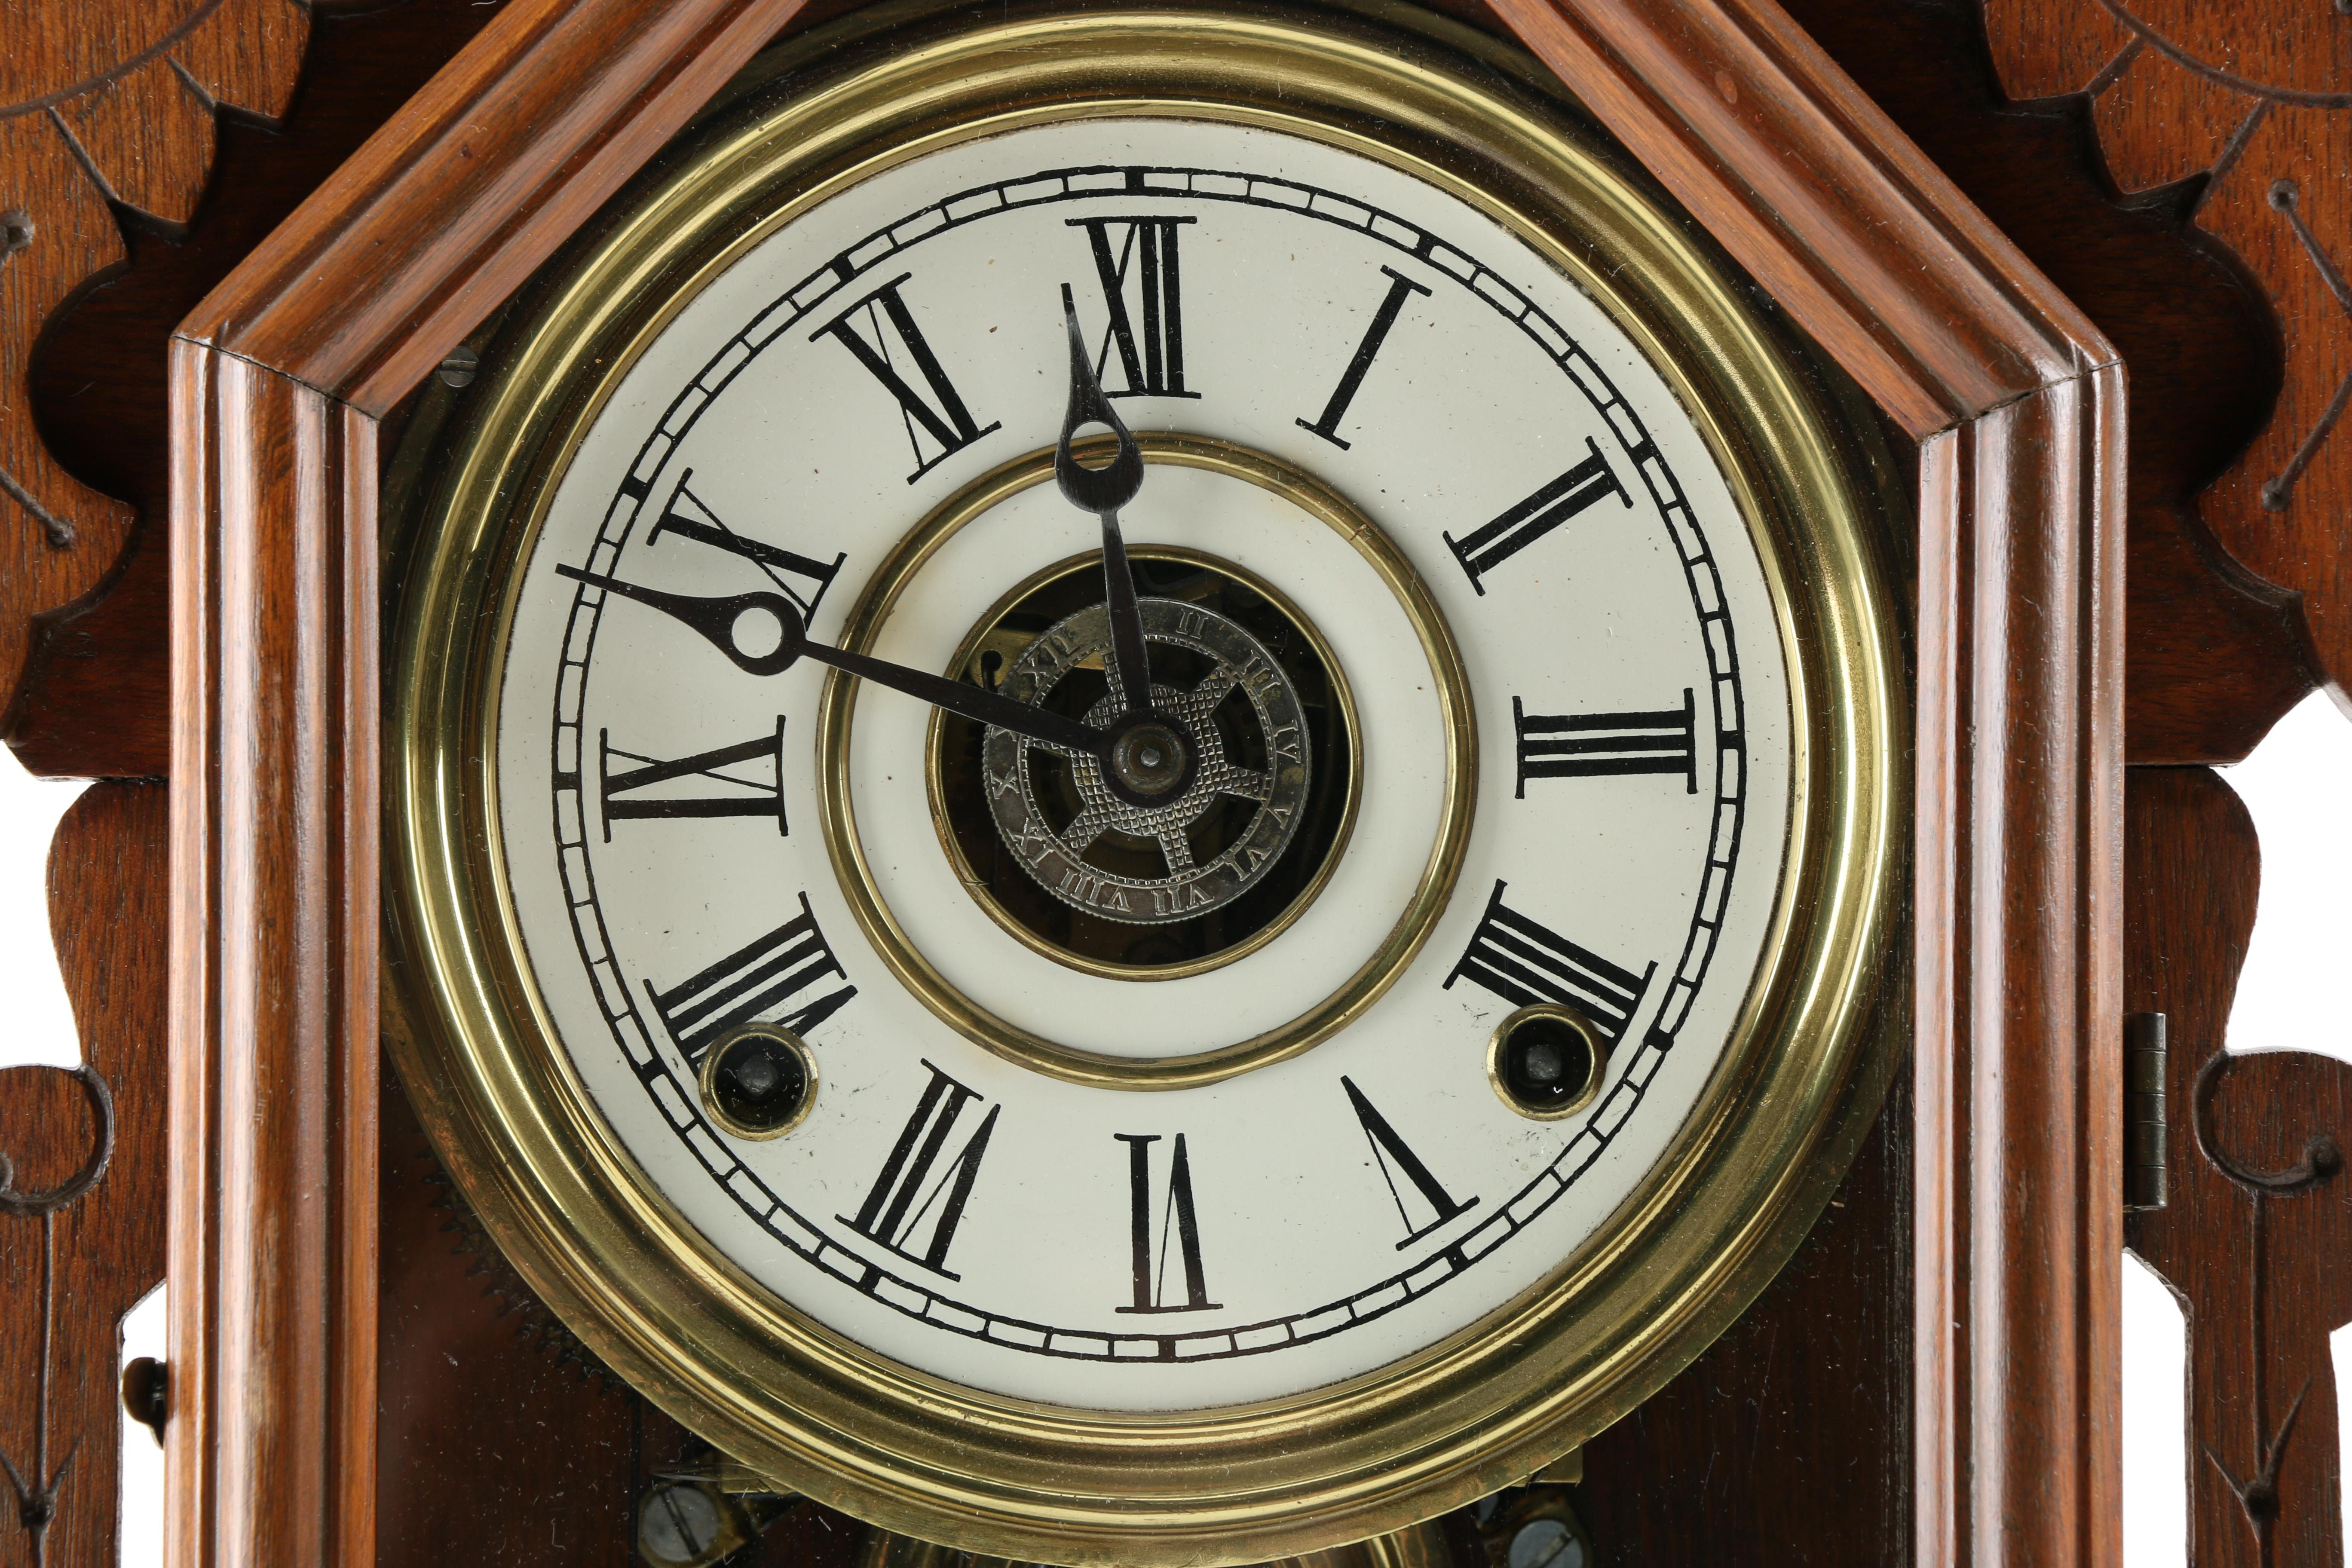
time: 11:48
